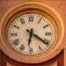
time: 6:21
